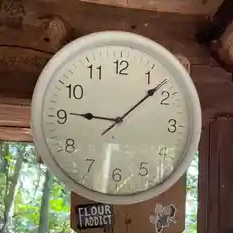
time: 9:08
